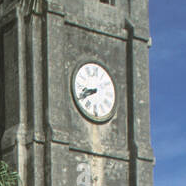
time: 8:40
